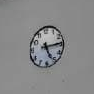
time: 5:14
